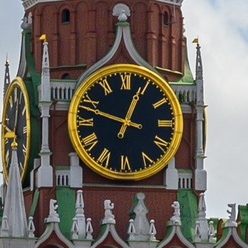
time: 12:48
